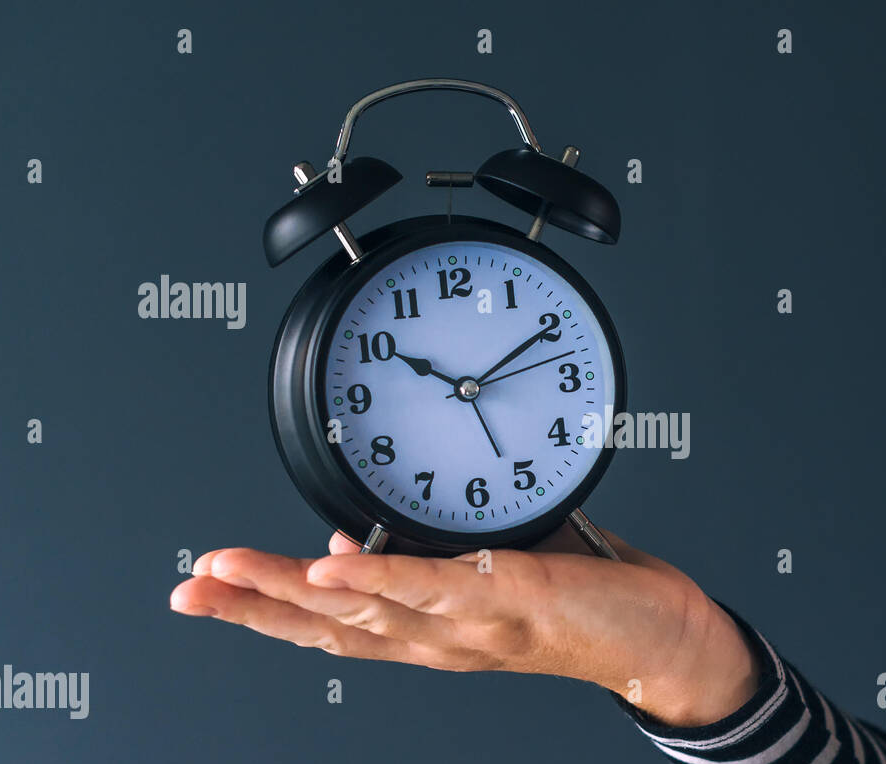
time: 10:10
